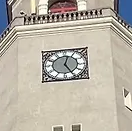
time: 5:02
